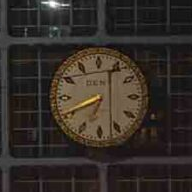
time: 6:41
